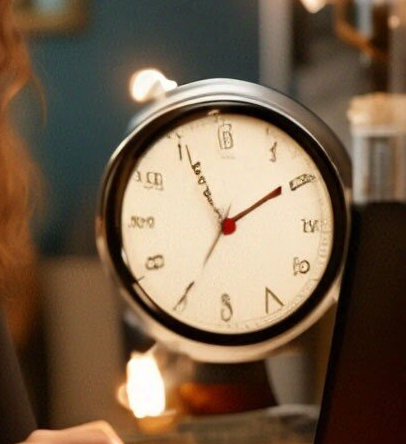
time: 1:55
